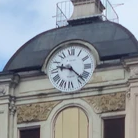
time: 9:22
